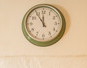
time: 11:54
